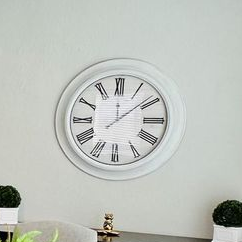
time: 12:08
